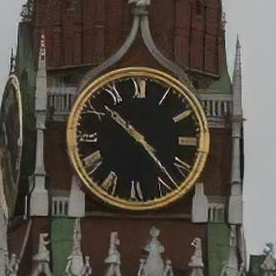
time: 10:23
